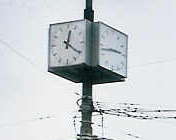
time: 12:20
